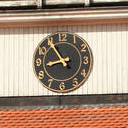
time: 8:54
